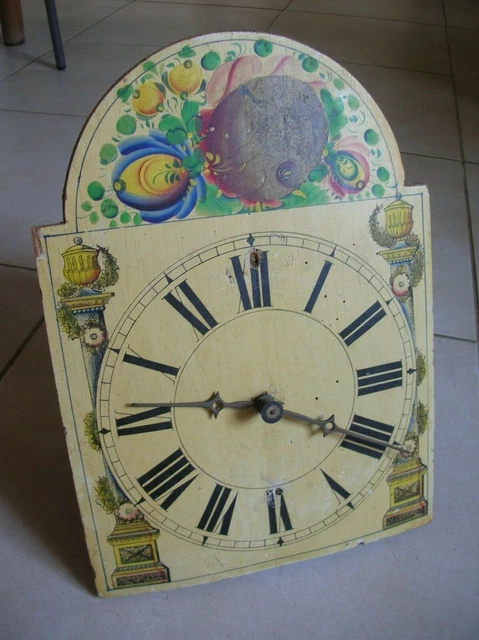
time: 9:20
